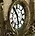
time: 10:28
